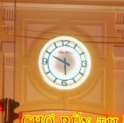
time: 5:49
